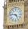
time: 4:46
